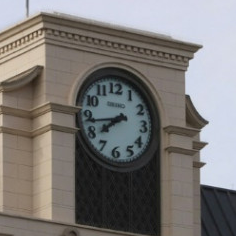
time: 7:43
